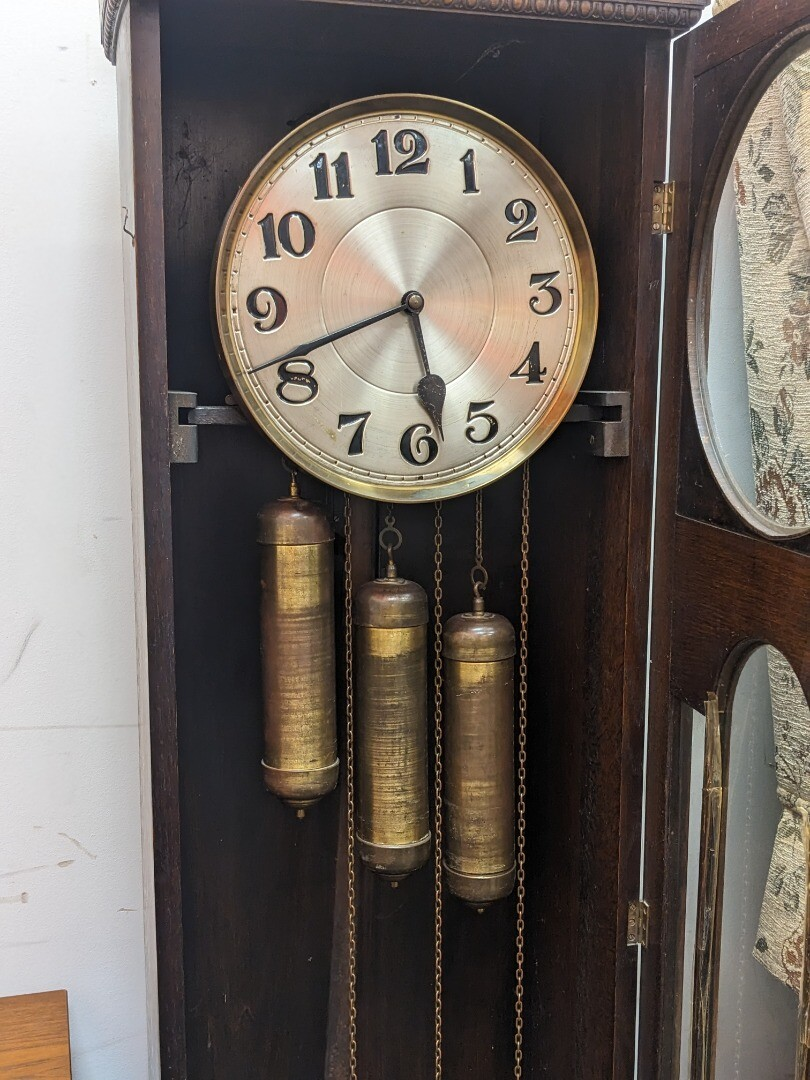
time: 5:41
